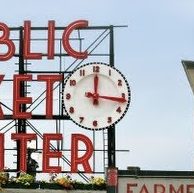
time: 12:16
